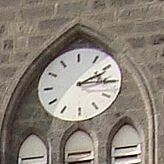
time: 2:15
